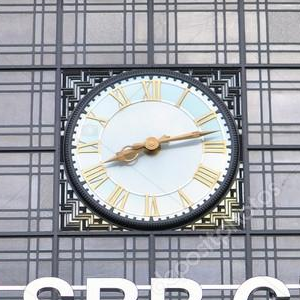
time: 8:12
